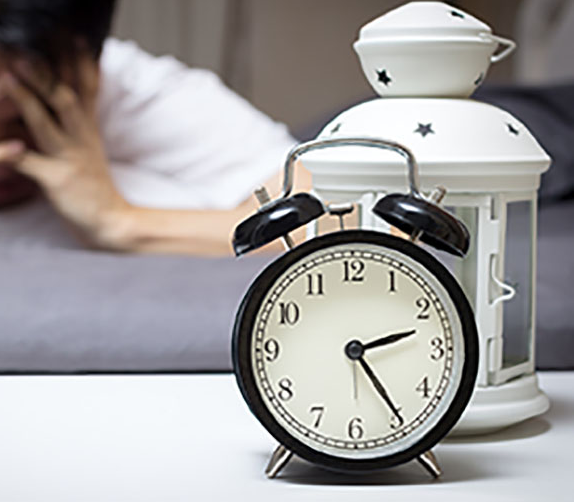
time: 2:24
